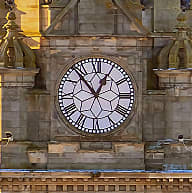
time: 12:53
